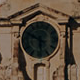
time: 5:49
